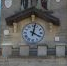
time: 4:02
